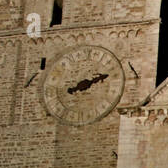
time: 2:11
